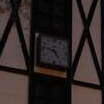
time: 4:46
